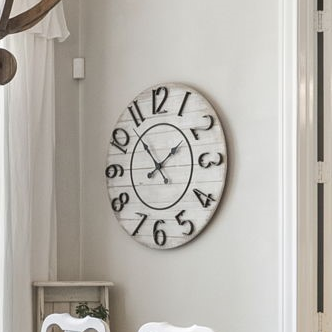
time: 1:53
